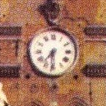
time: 7:30
